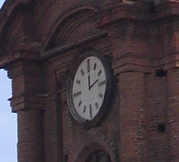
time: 12:12
